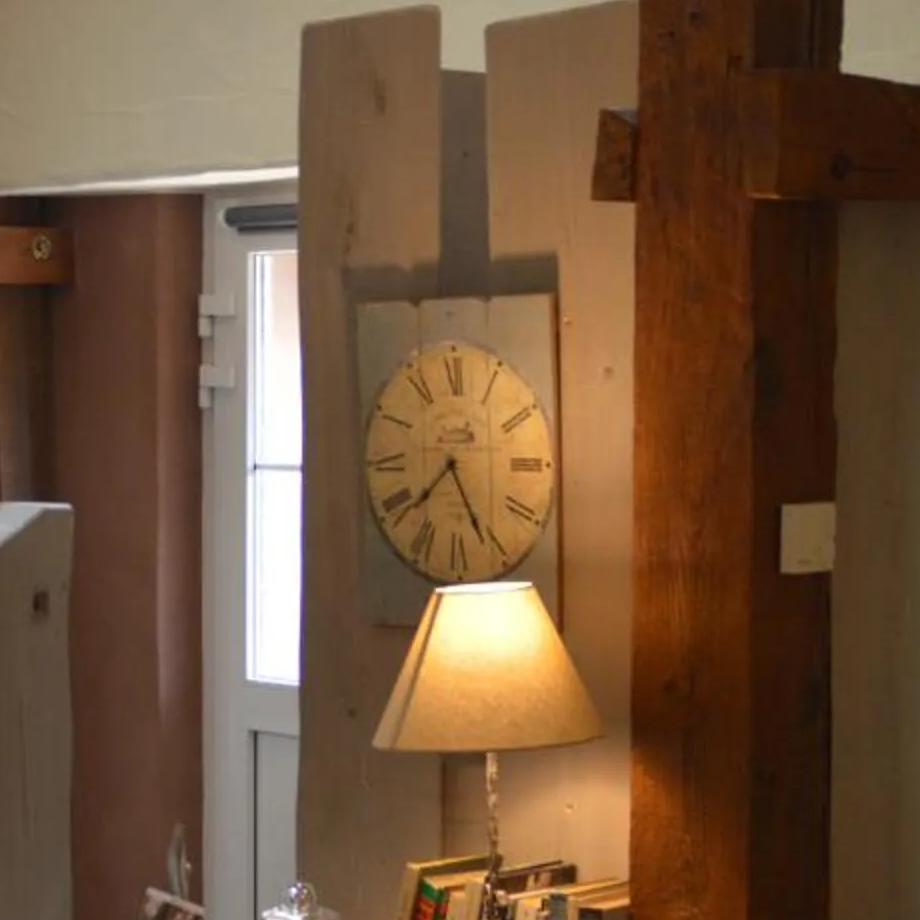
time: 7:25
